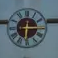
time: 6:15
